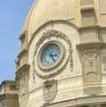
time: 3:24
